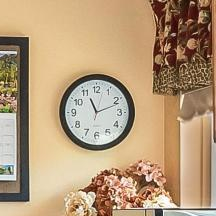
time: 11:11
